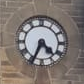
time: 4:34
